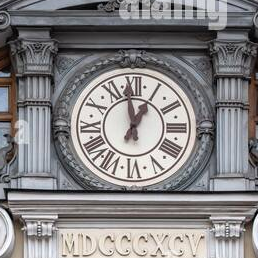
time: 12:58
